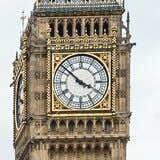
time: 3:52
